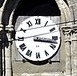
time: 3:17
